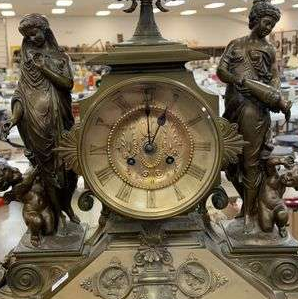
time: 1:00
